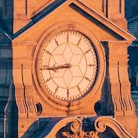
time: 8:44
